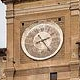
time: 2:23
